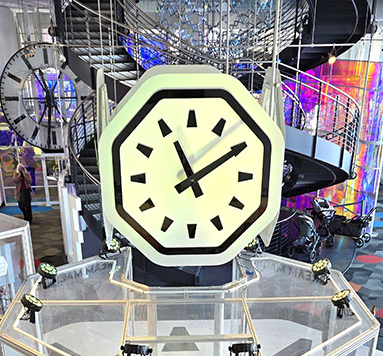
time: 11:09
